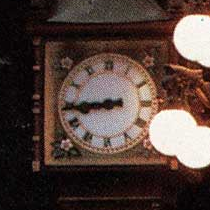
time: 8:44
